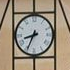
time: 8:34
